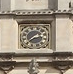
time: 2:38
